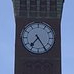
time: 7:24
